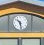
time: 10:28
